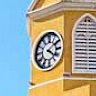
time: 4:09
